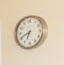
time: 6:41
